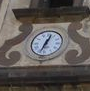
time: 12:33
